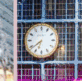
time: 6:38
